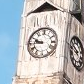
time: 9:45
